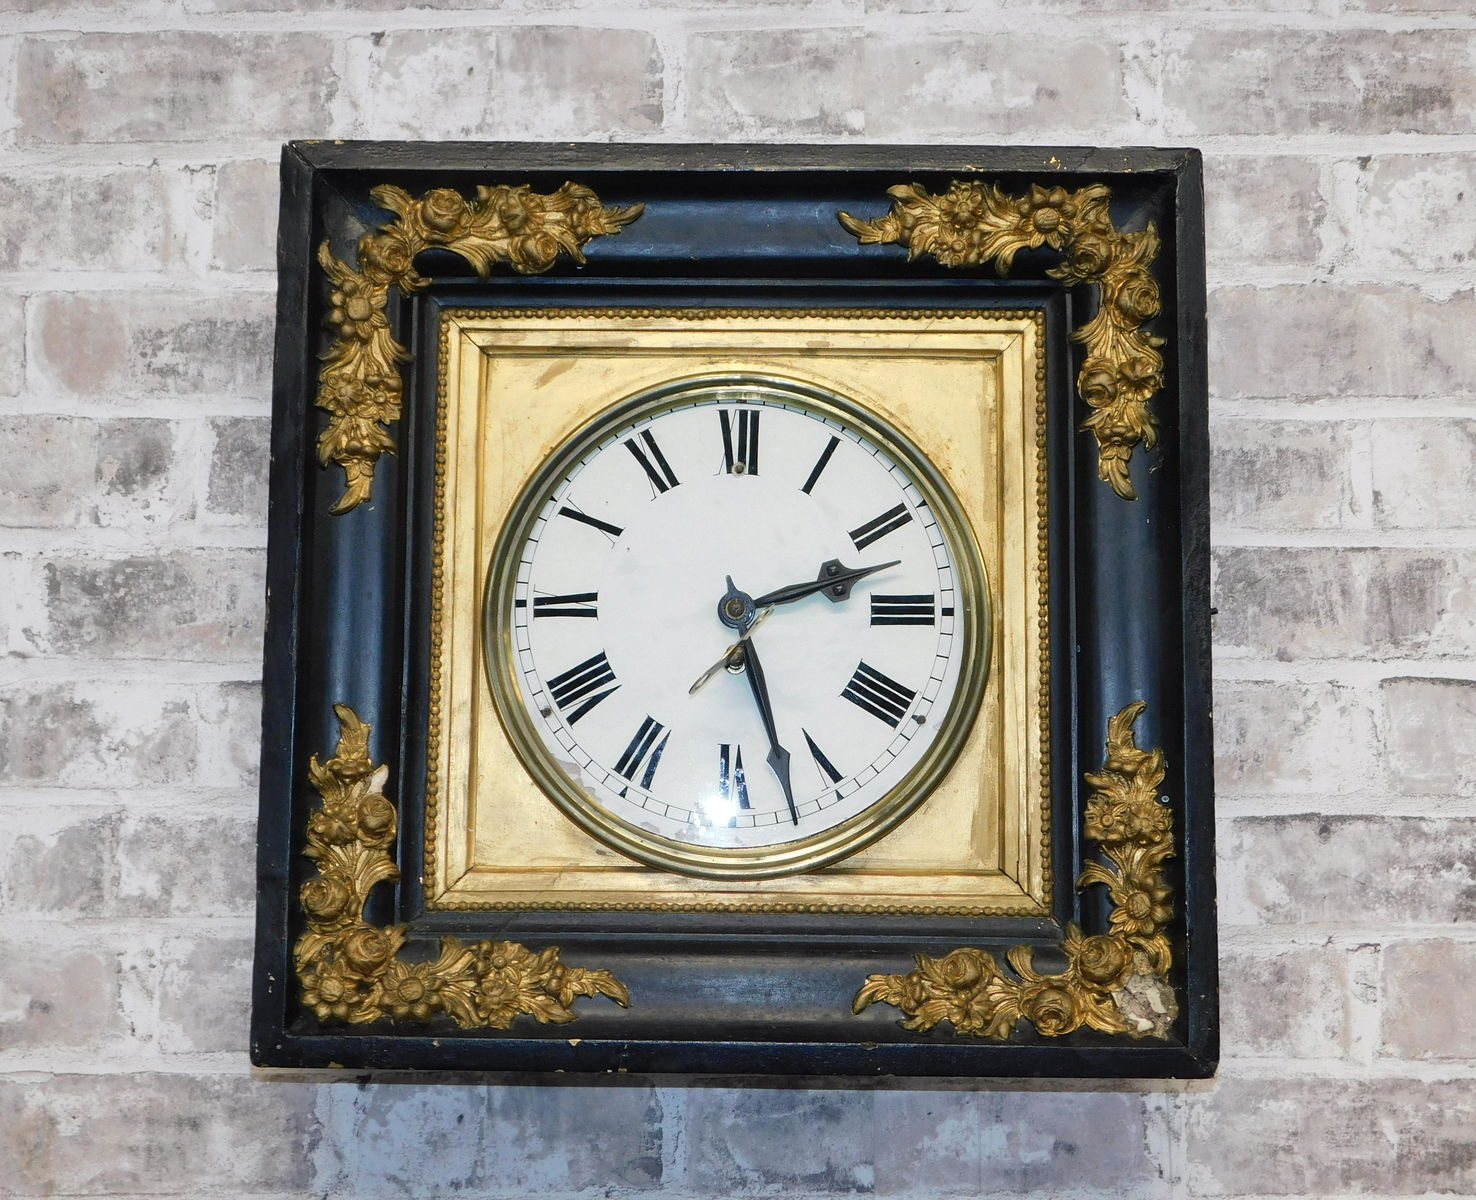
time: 2:27
